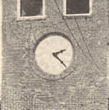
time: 2:22
